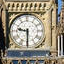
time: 9:30
